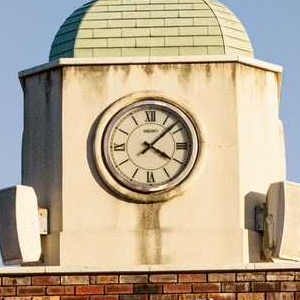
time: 4:07
